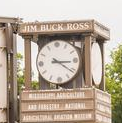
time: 3:21
